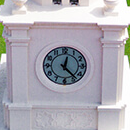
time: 12:23
